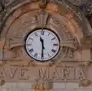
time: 11:30
